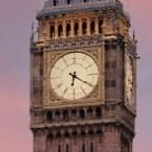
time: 6:20
